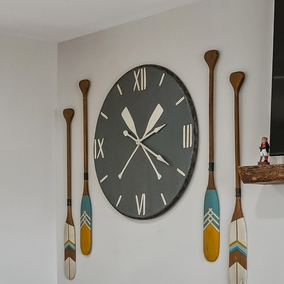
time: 1:20
